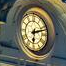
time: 6:12
